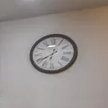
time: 6:39
